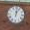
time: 12:04
